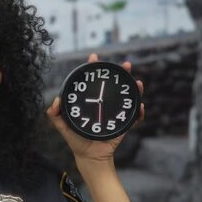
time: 9:00
